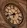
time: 6:40
